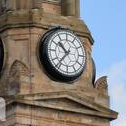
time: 10:36
